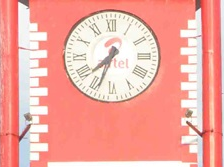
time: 7:33
